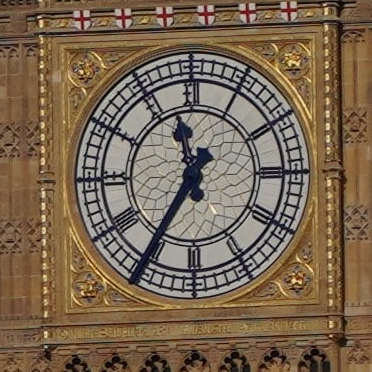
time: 11:35
